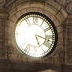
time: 5:18
